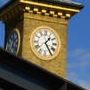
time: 1:24
